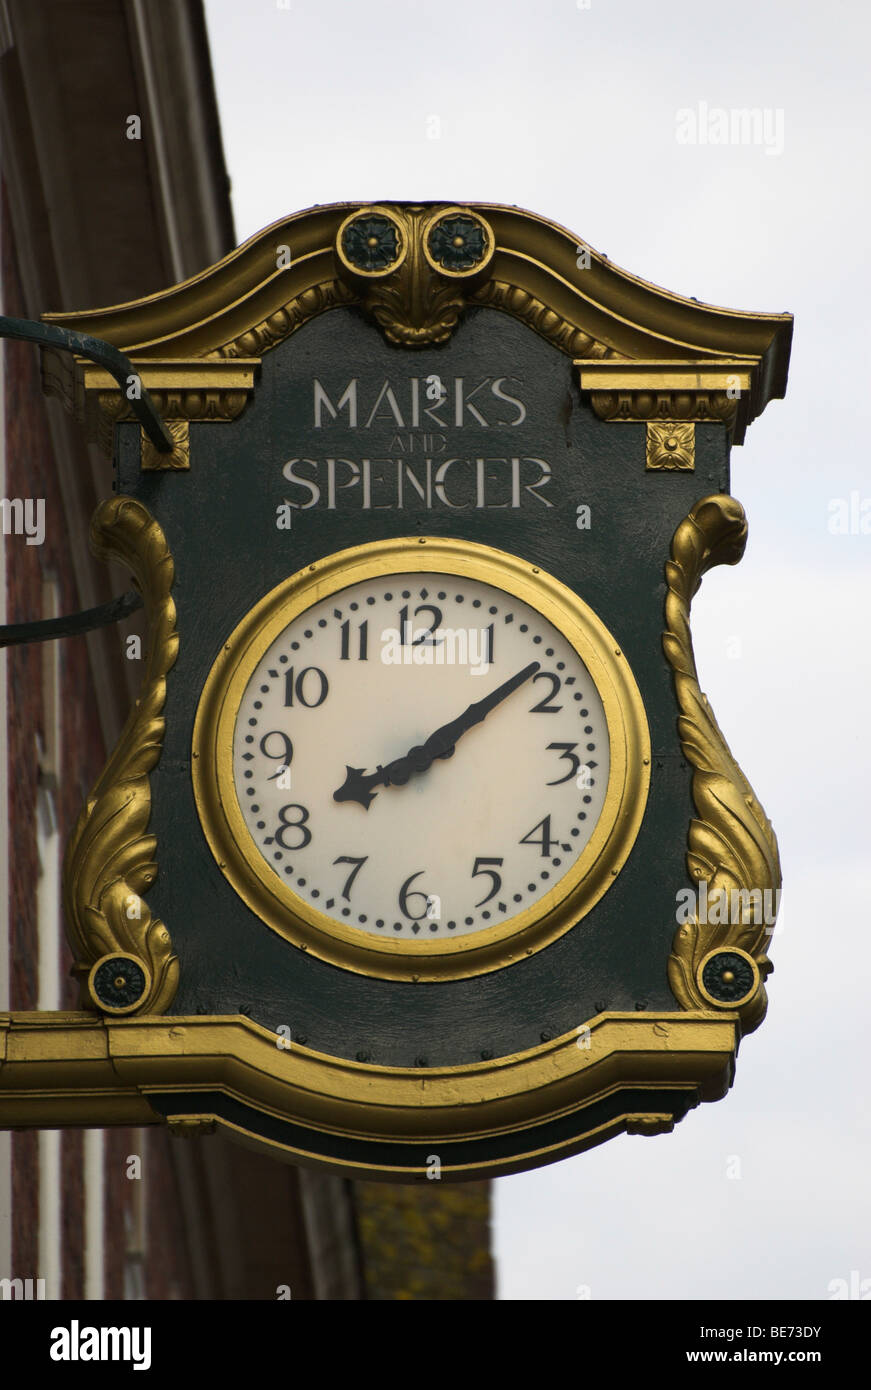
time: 8:08
